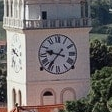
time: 9:36
